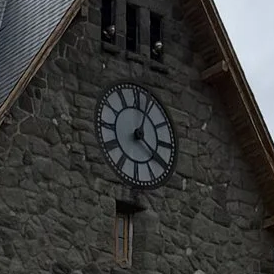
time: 4:02
